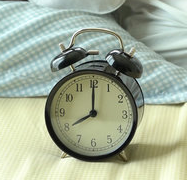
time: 8:00
